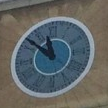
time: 11:52
